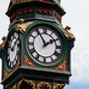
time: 1:55
